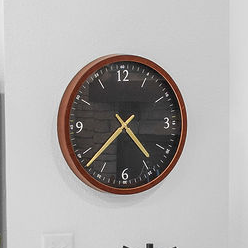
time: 4:37
